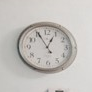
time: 12:55
